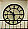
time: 10:28
